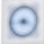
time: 3:43
